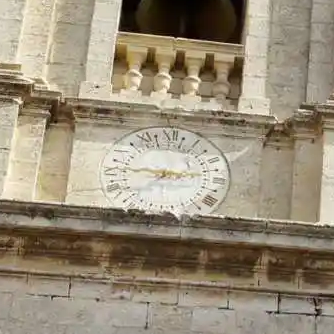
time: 9:13
